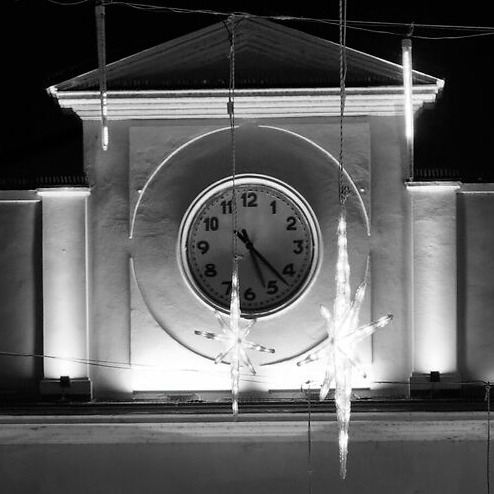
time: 5:22
